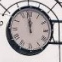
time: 11:58
